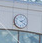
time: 2:21
